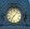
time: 7:07
